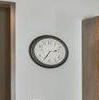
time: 2:34
